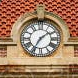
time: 1:35
